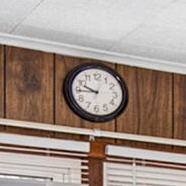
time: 9:44
